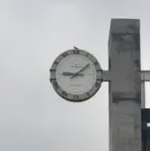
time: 9:08
